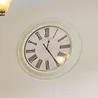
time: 12:24
